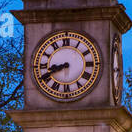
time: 8:40
